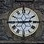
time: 2:44
